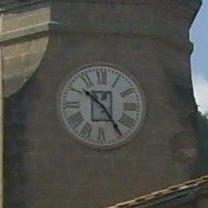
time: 10:24
